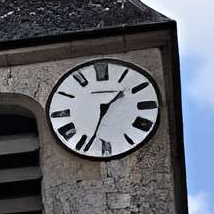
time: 1:33
